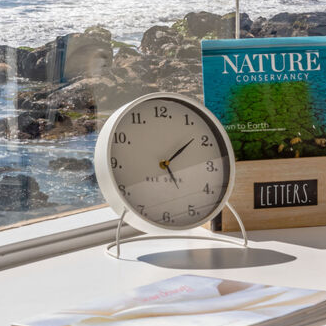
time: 5:08
